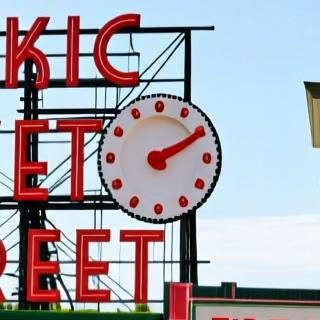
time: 2:10
